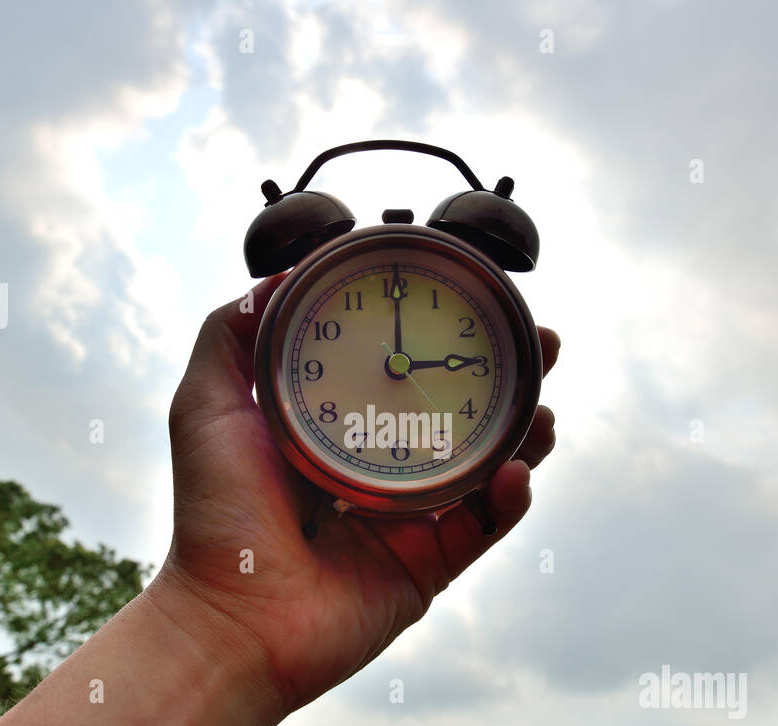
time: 3:00
